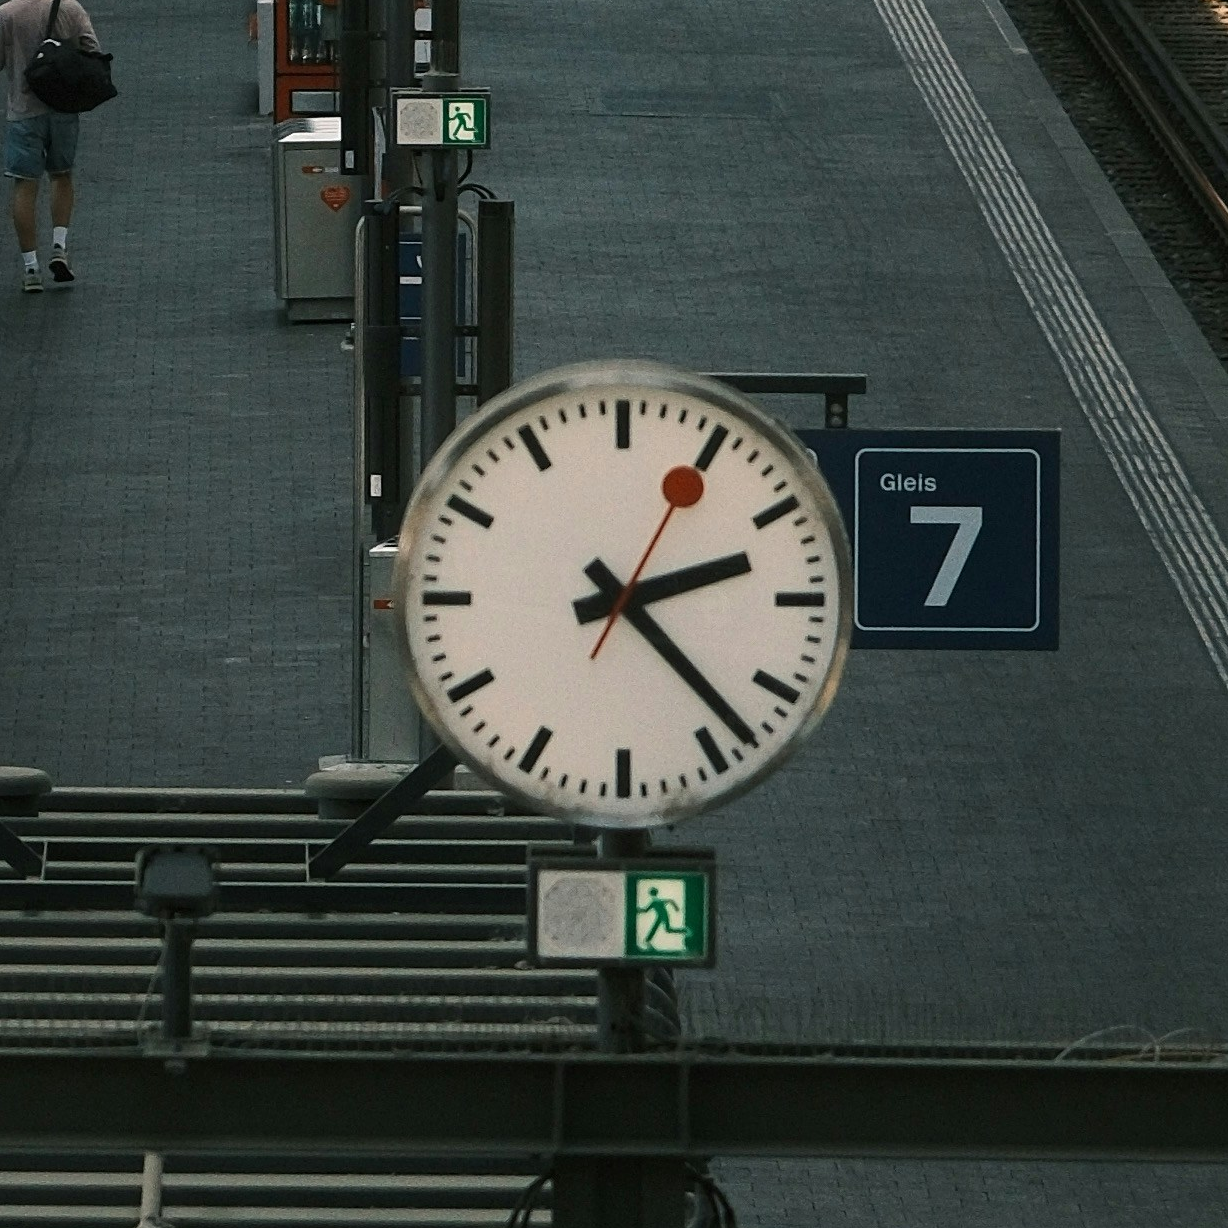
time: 2:23
